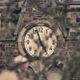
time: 1:56
